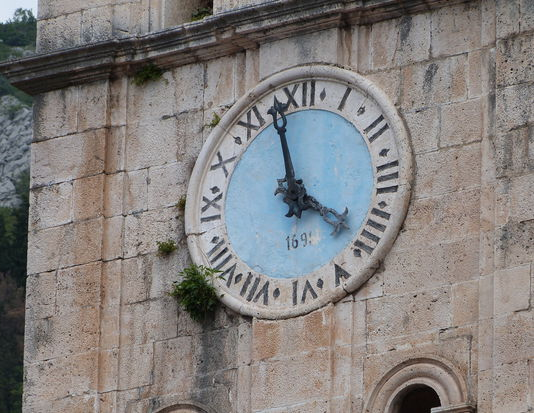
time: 3:58
